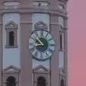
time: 10:41
